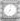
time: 7:01
